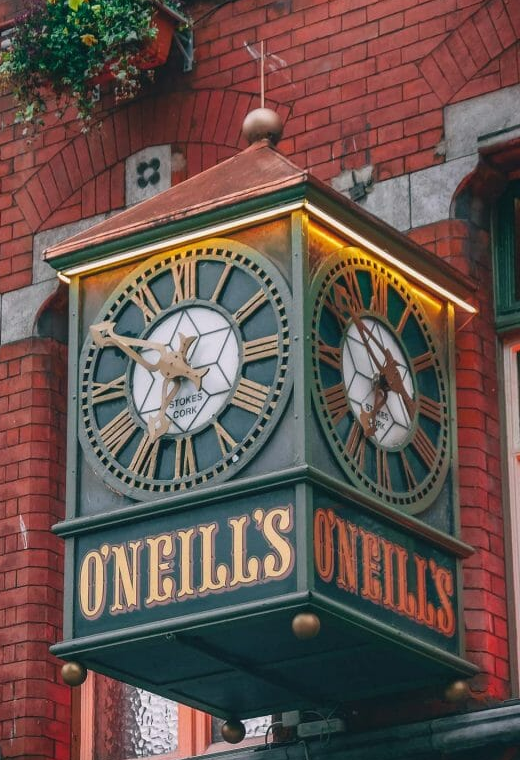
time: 10:34
